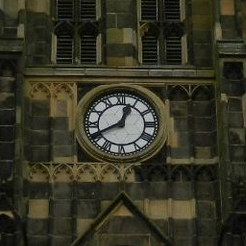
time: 12:40
